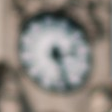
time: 2:26
